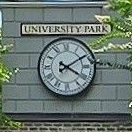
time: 4:09
